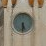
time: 5:30
